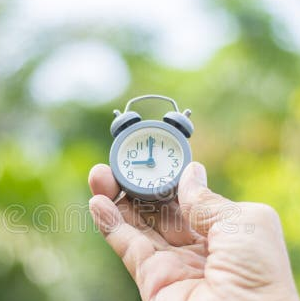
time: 9:00
